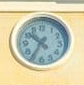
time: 10:35
